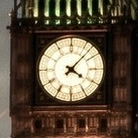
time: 4:07
